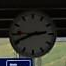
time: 2:40
